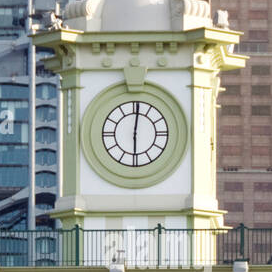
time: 6:00
